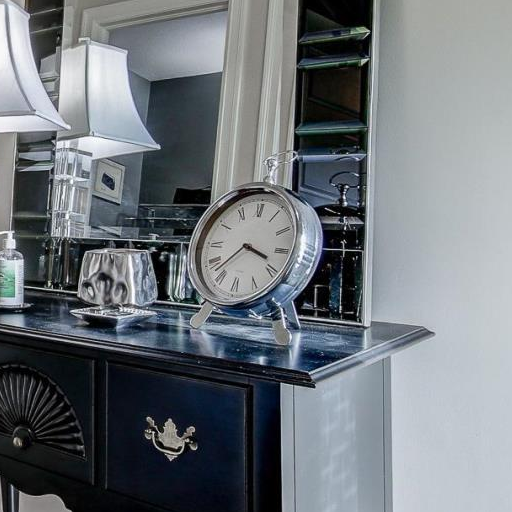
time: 3:37
